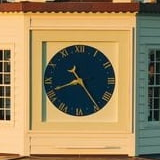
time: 8:24
